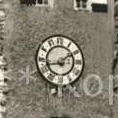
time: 1:42
